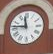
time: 11:46
